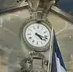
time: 4:17
